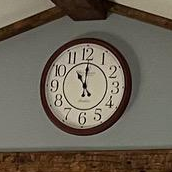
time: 11:00
